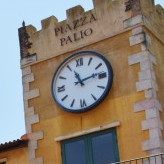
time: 11:13
